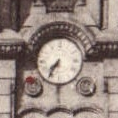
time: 7:35
